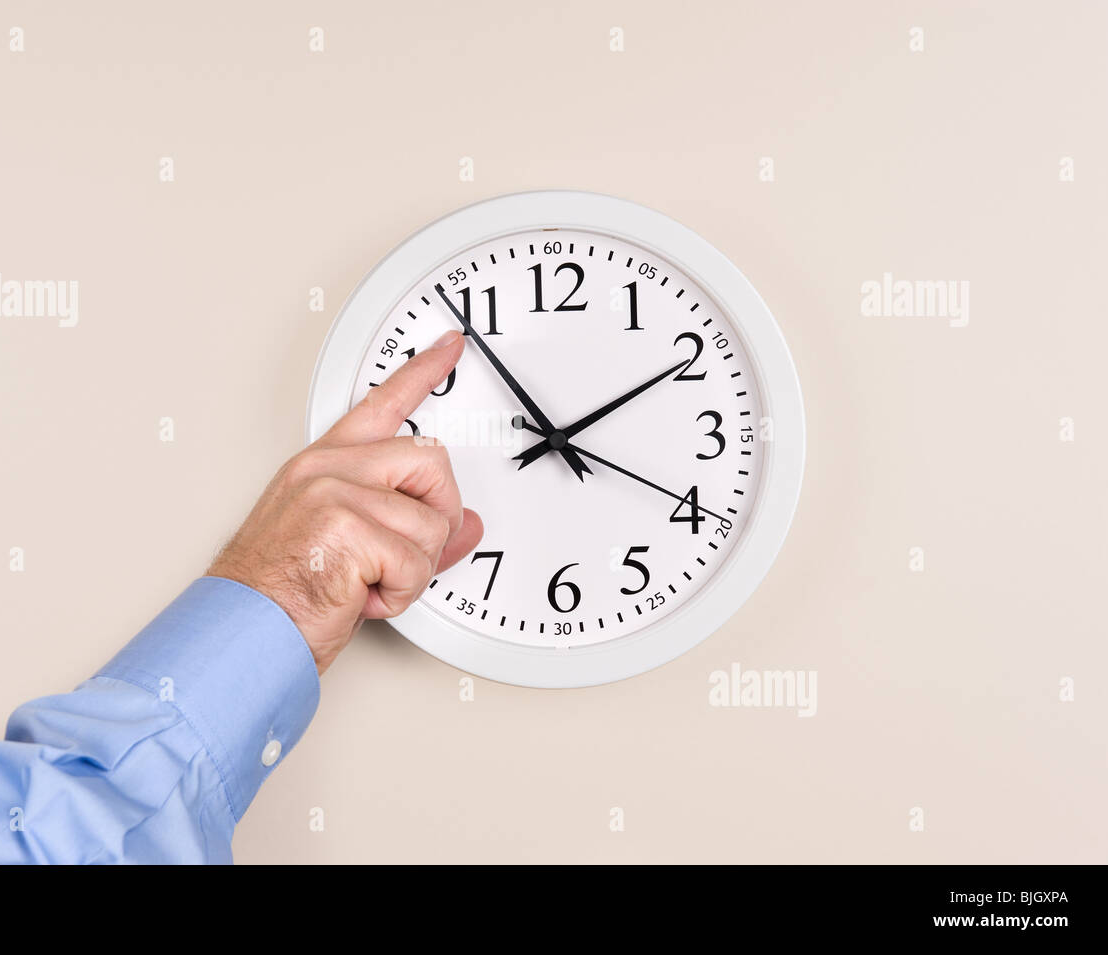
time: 1:53
